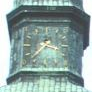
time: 3:36
